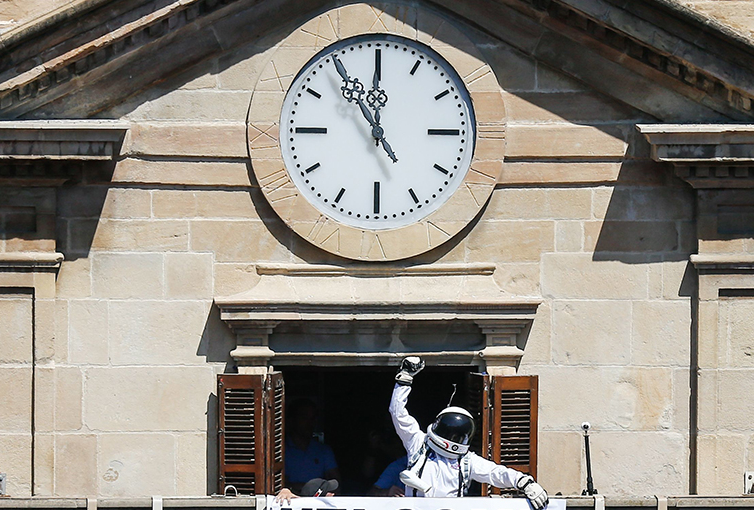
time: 11:54
